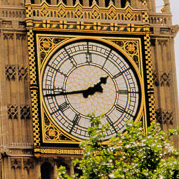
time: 1:43
